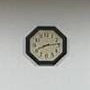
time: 8:13
